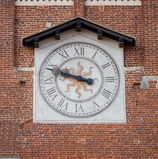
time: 9:48
